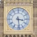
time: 3:28
